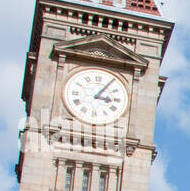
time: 3:05
